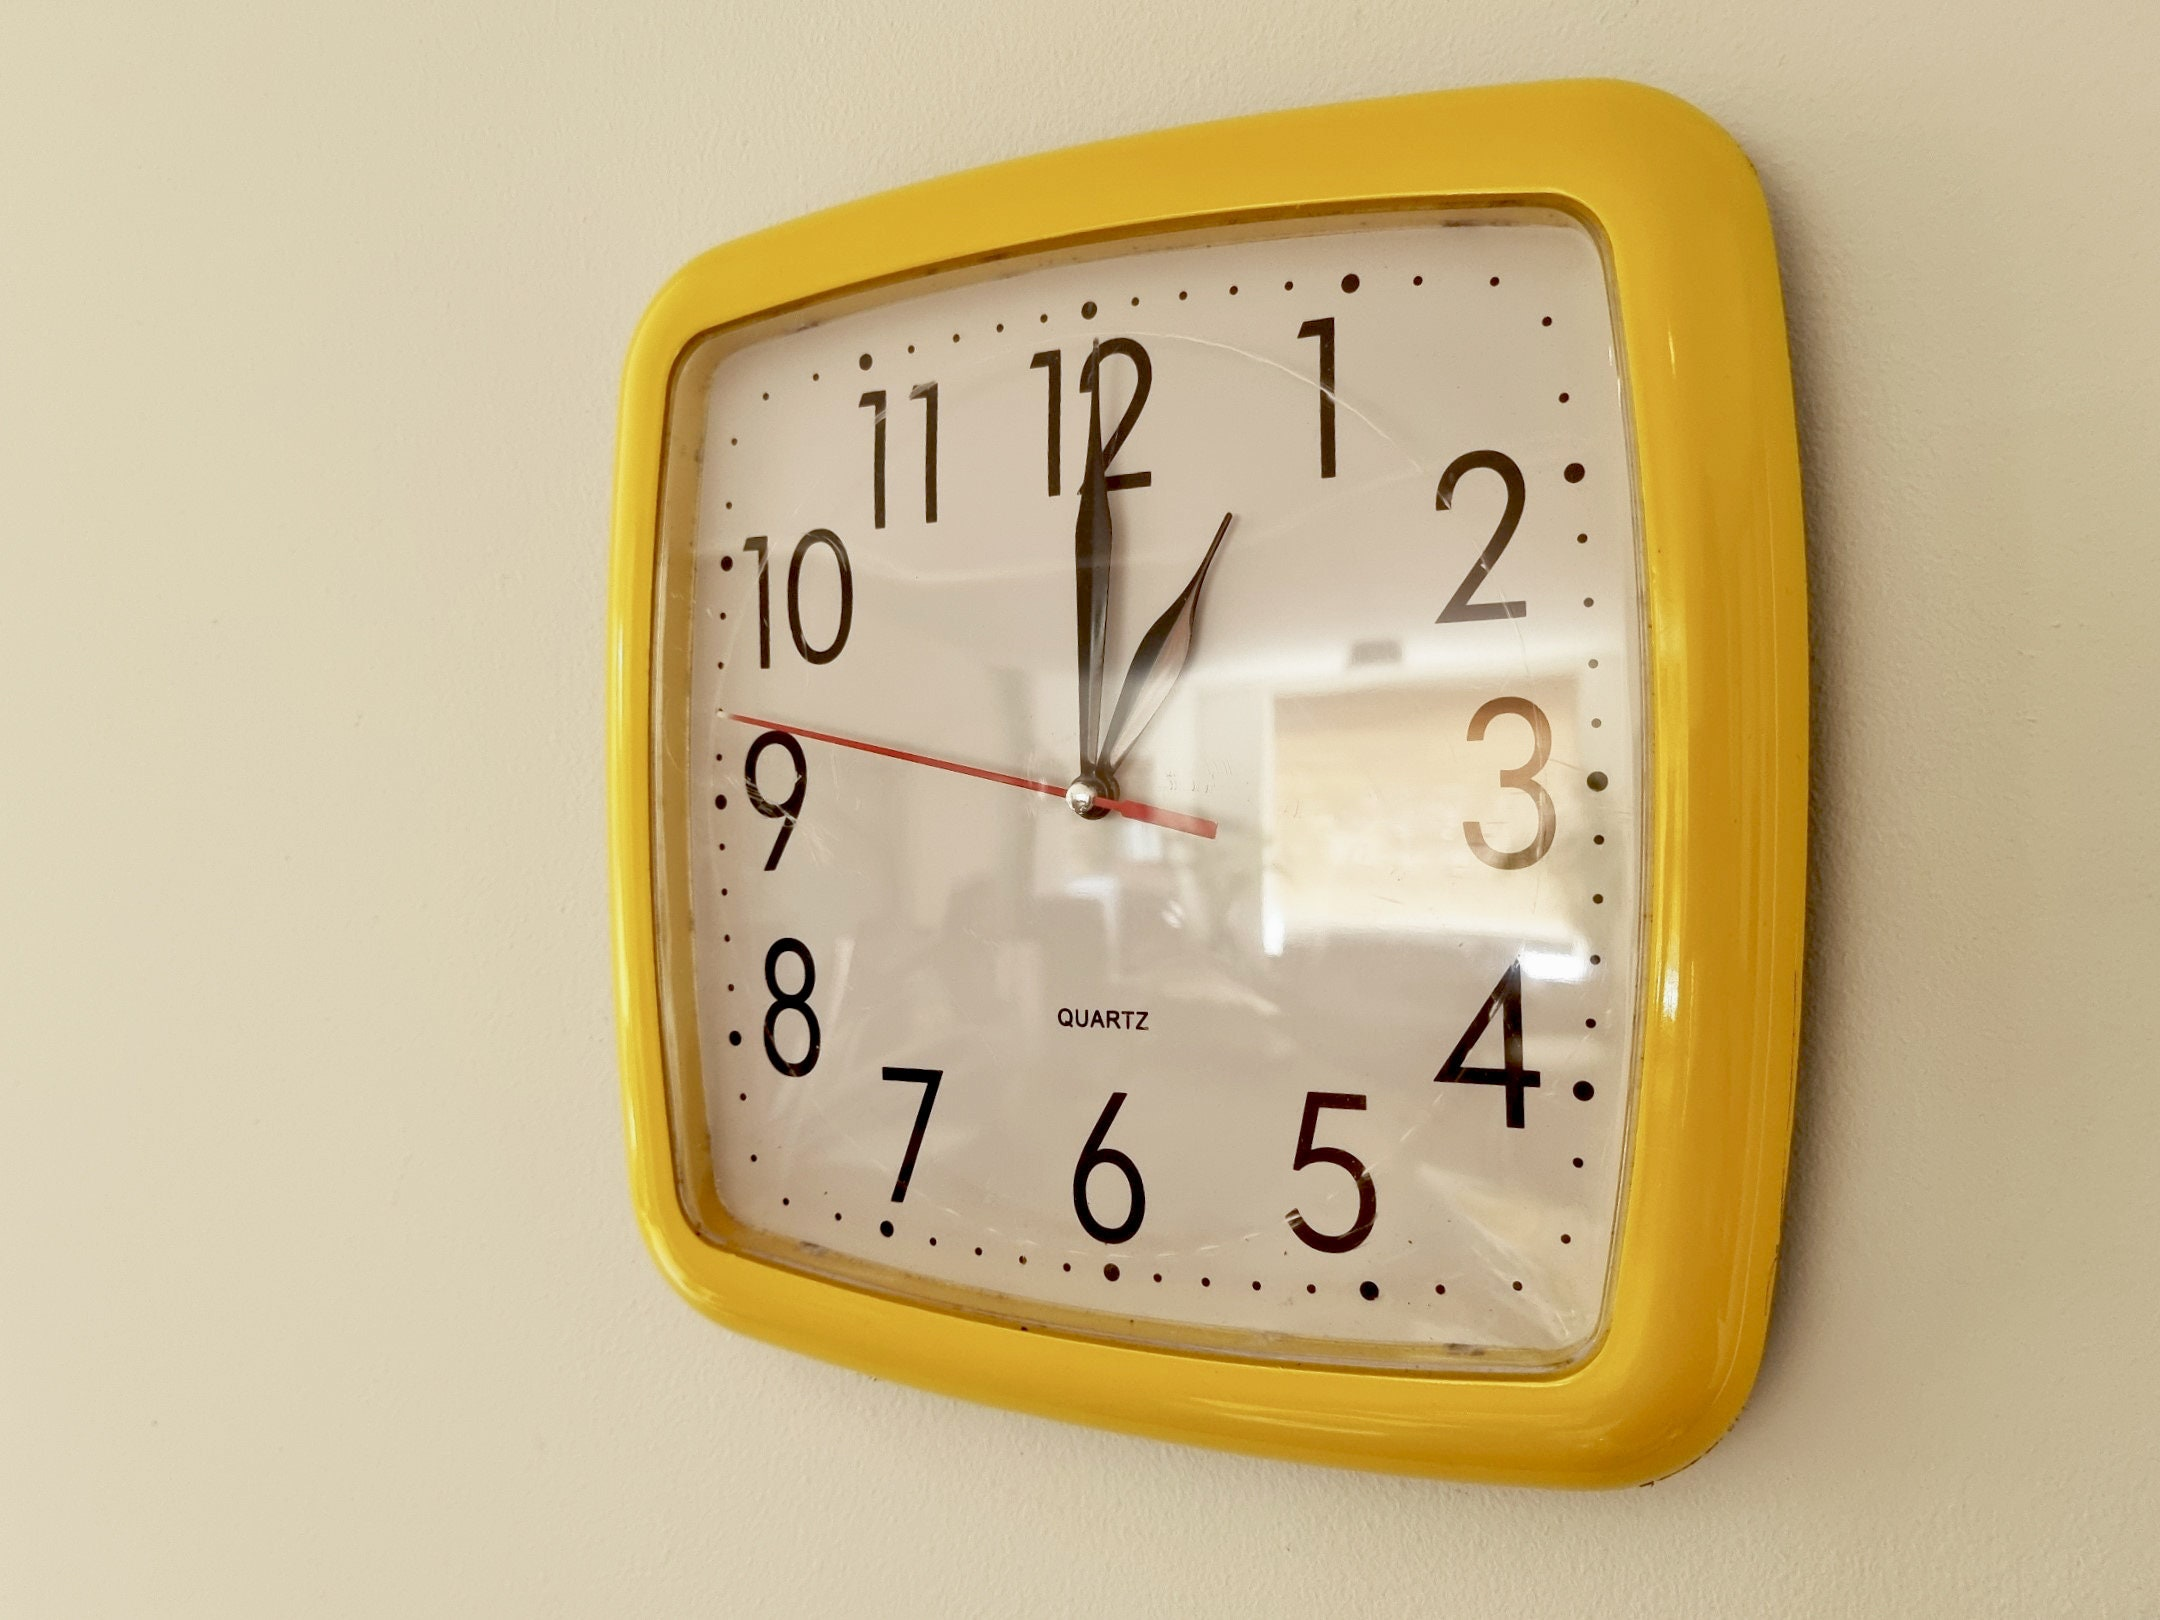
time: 1:00
